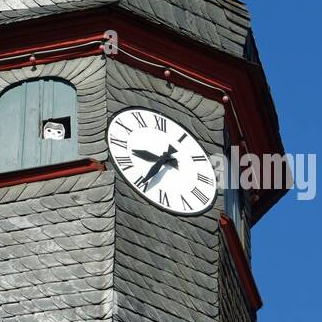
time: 8:34
